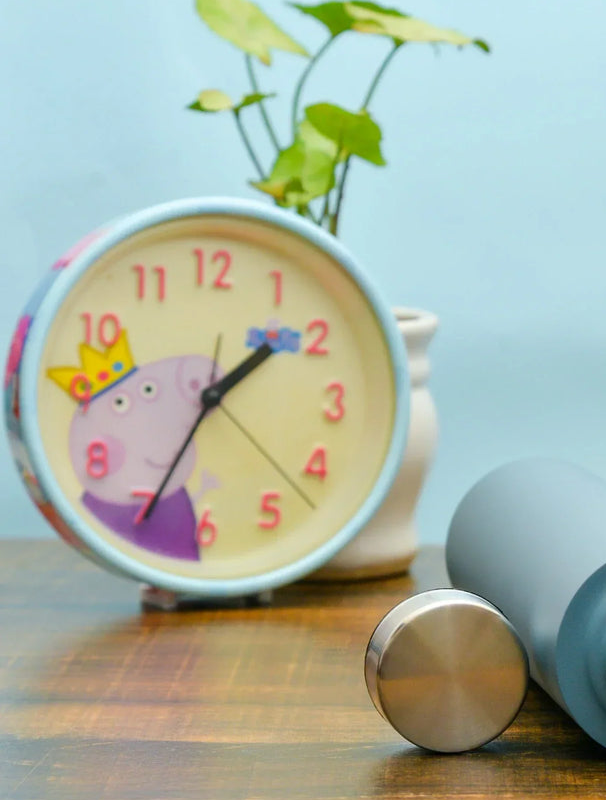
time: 1:34
